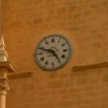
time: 4:48
